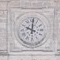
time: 10:00
